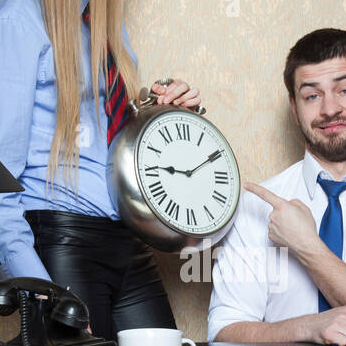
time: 9:10
